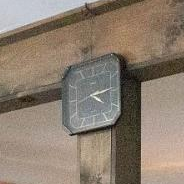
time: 4:13
